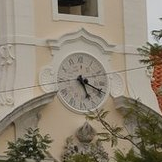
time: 5:18
